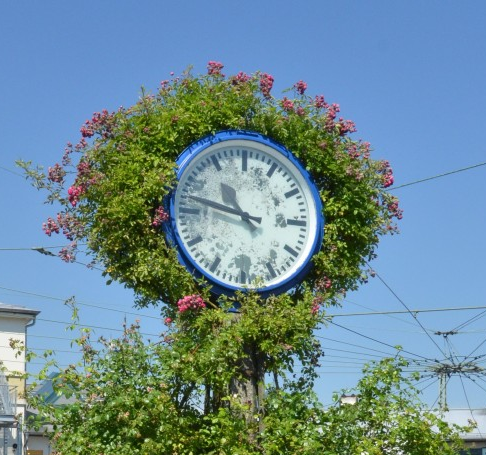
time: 10:47
